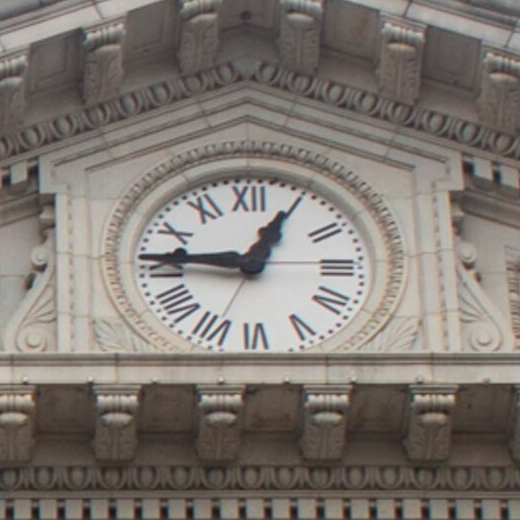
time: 12:46
